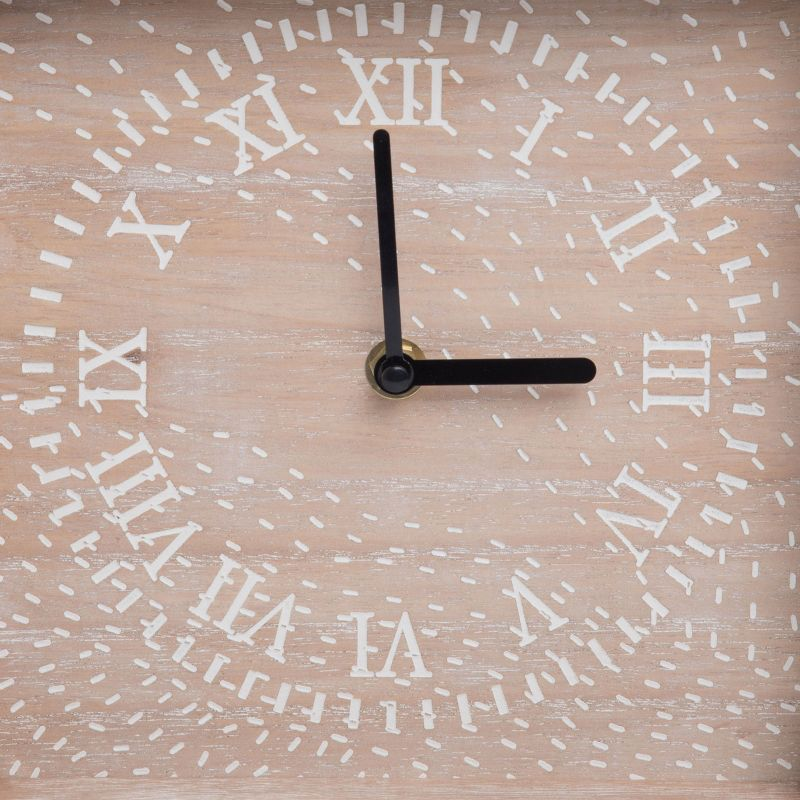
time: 2:59
